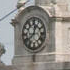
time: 12:38
